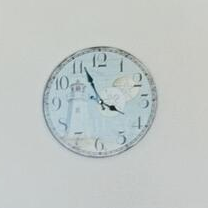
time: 3:56
